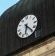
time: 6:23
